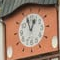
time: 12:56
